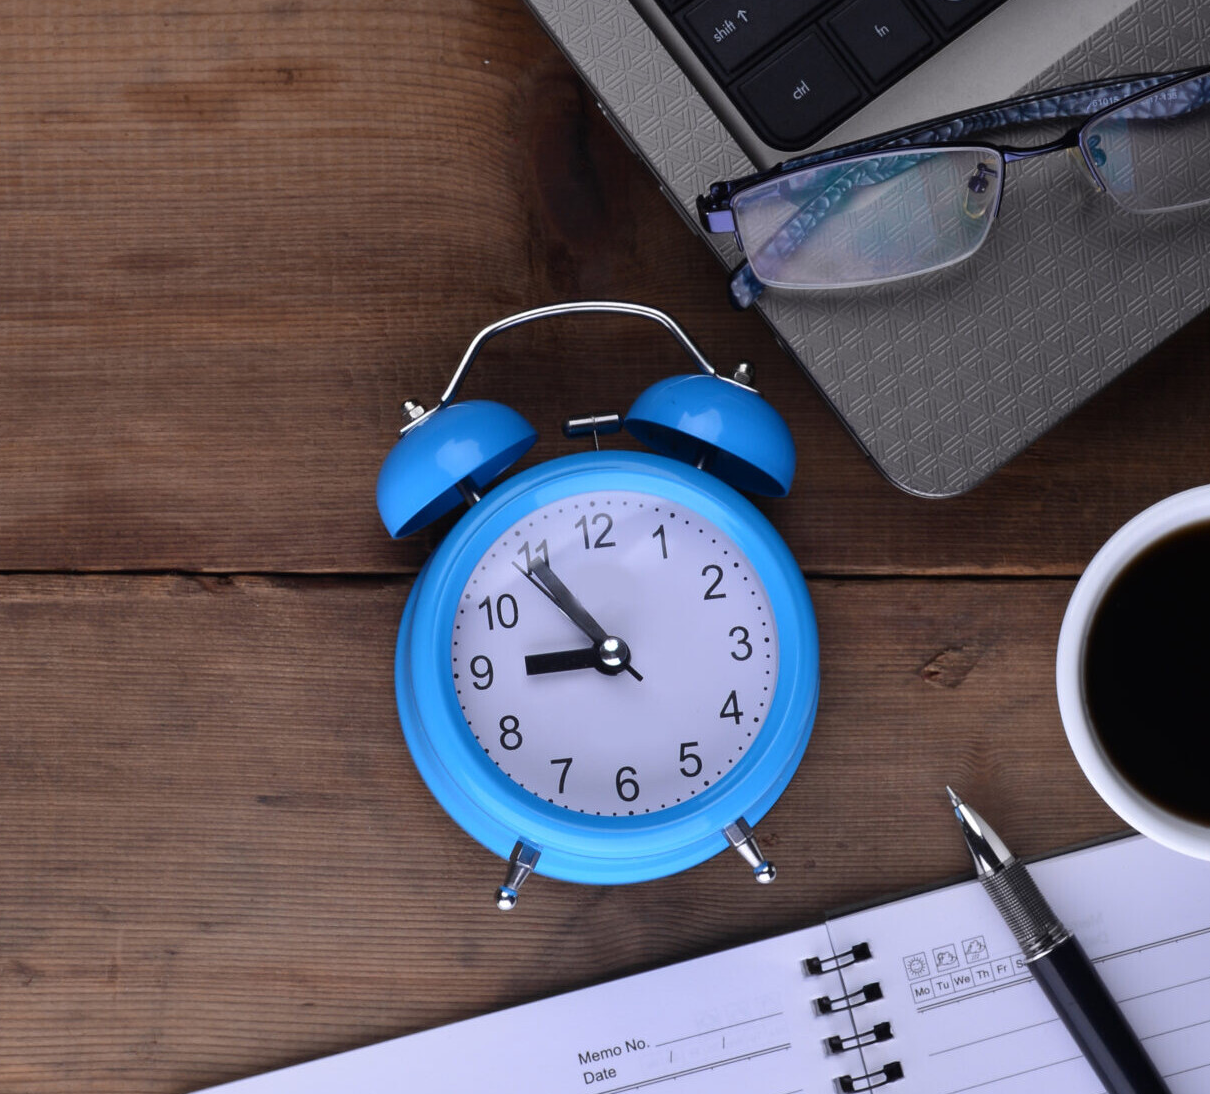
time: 8:54
